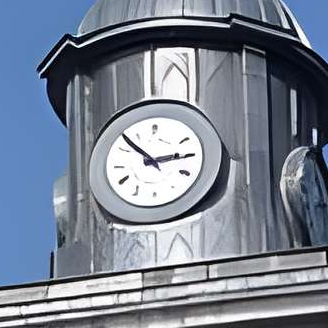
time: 2:52
